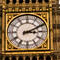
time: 3:10
